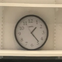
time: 1:23
